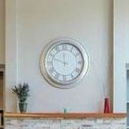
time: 11:48
